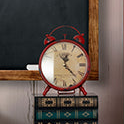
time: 12:23
